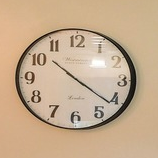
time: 10:21
